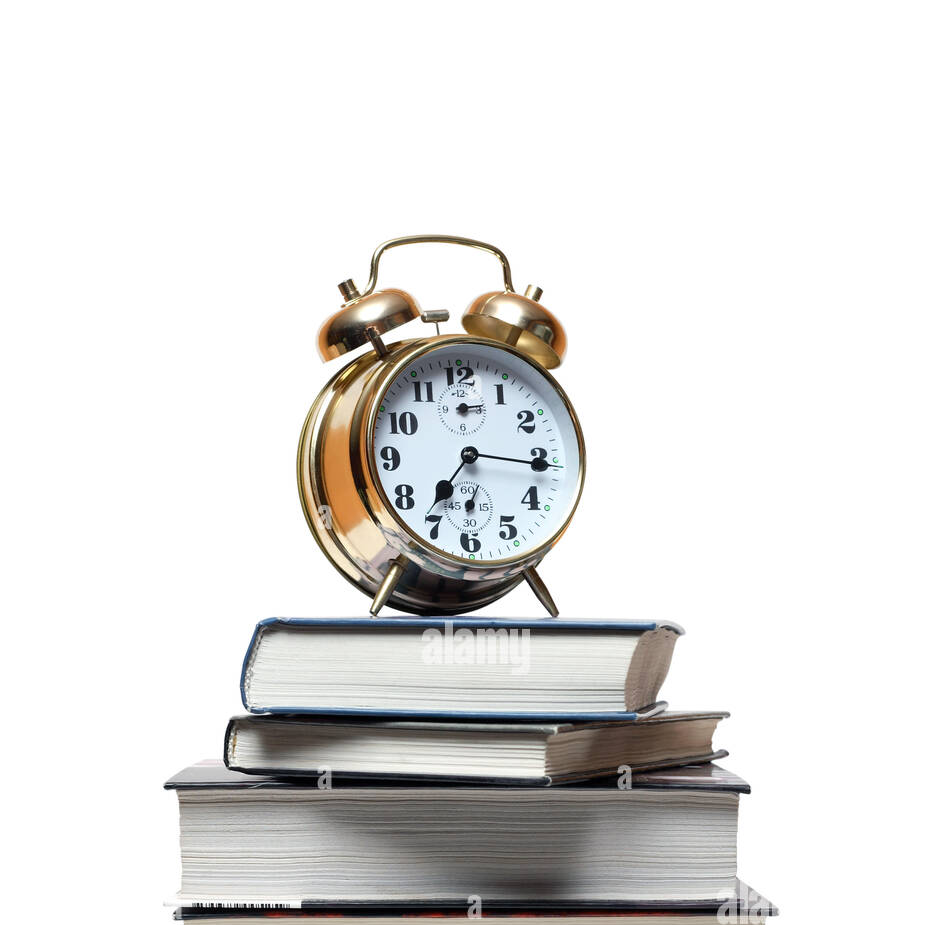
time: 7:15
